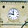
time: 11:46
